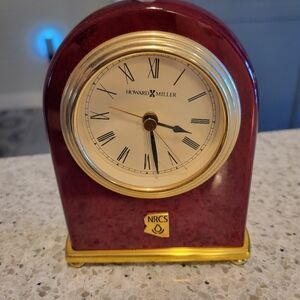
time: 3:28
